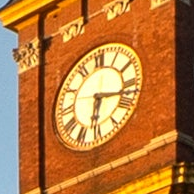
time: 6:16
